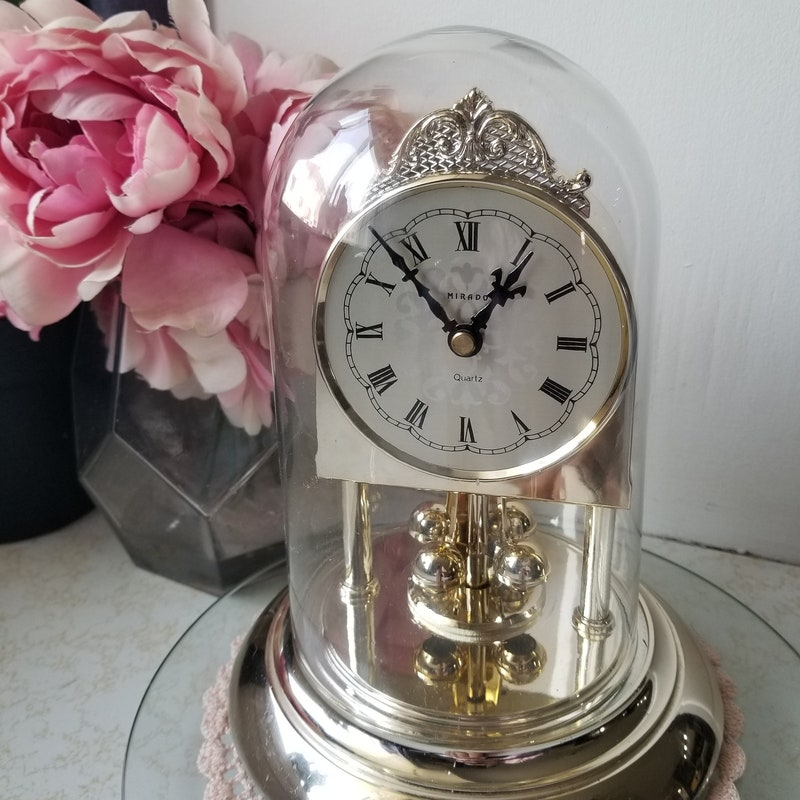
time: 12:52
